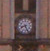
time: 8:26
